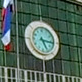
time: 5:15
